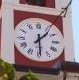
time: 1:29
